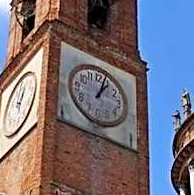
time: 1:03
